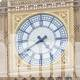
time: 4:40
